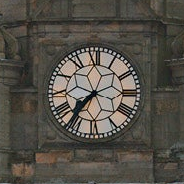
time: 7:36
